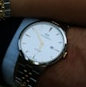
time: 6:55
